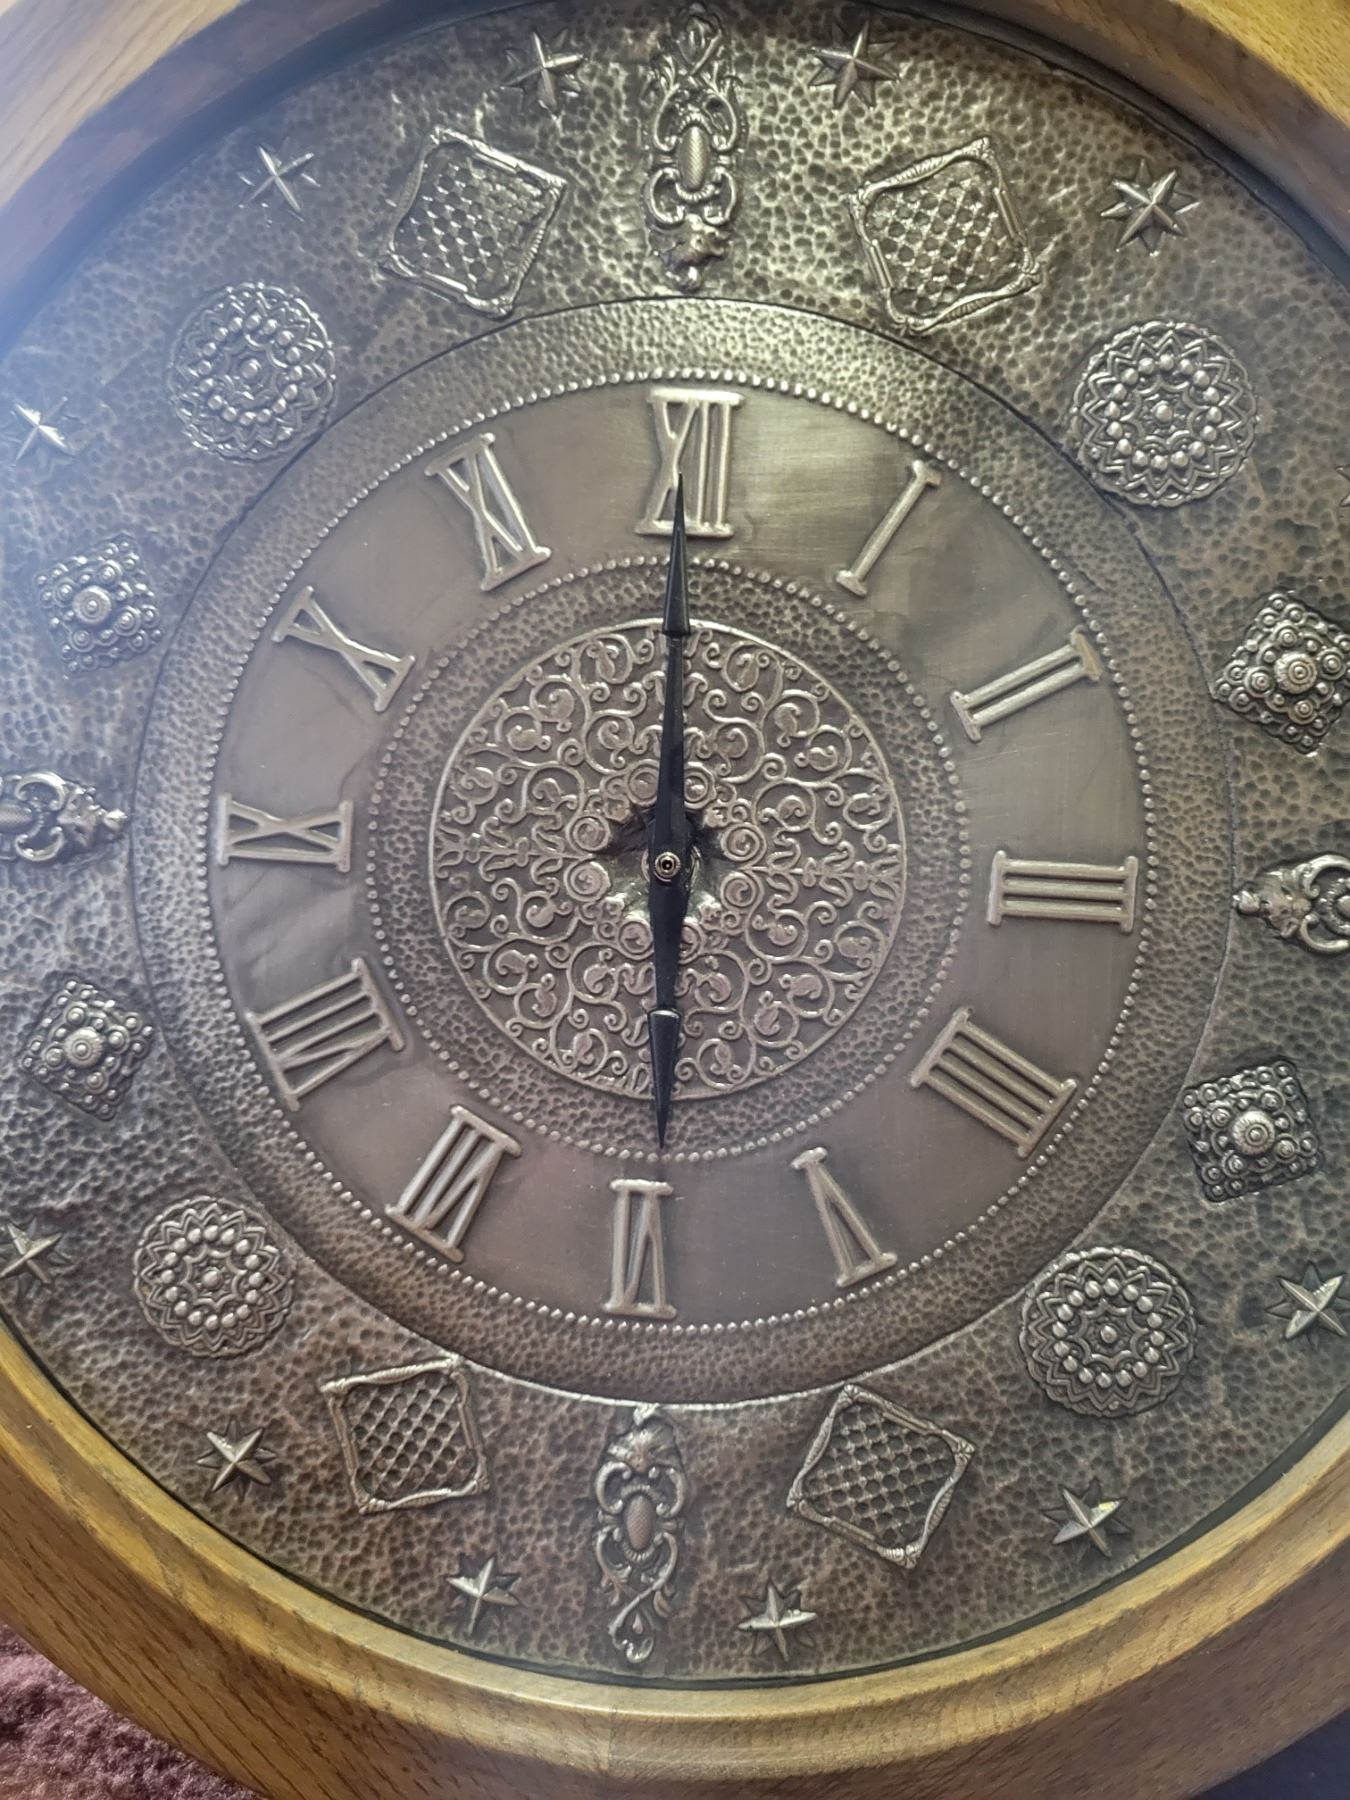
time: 5:59
